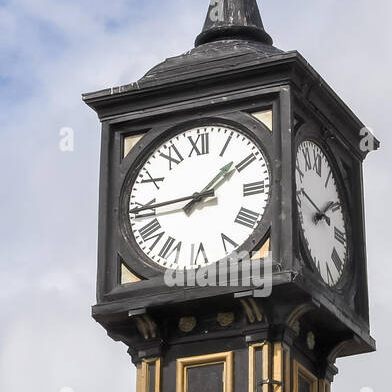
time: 1:44
